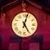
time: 5:02
